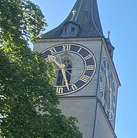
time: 10:27
